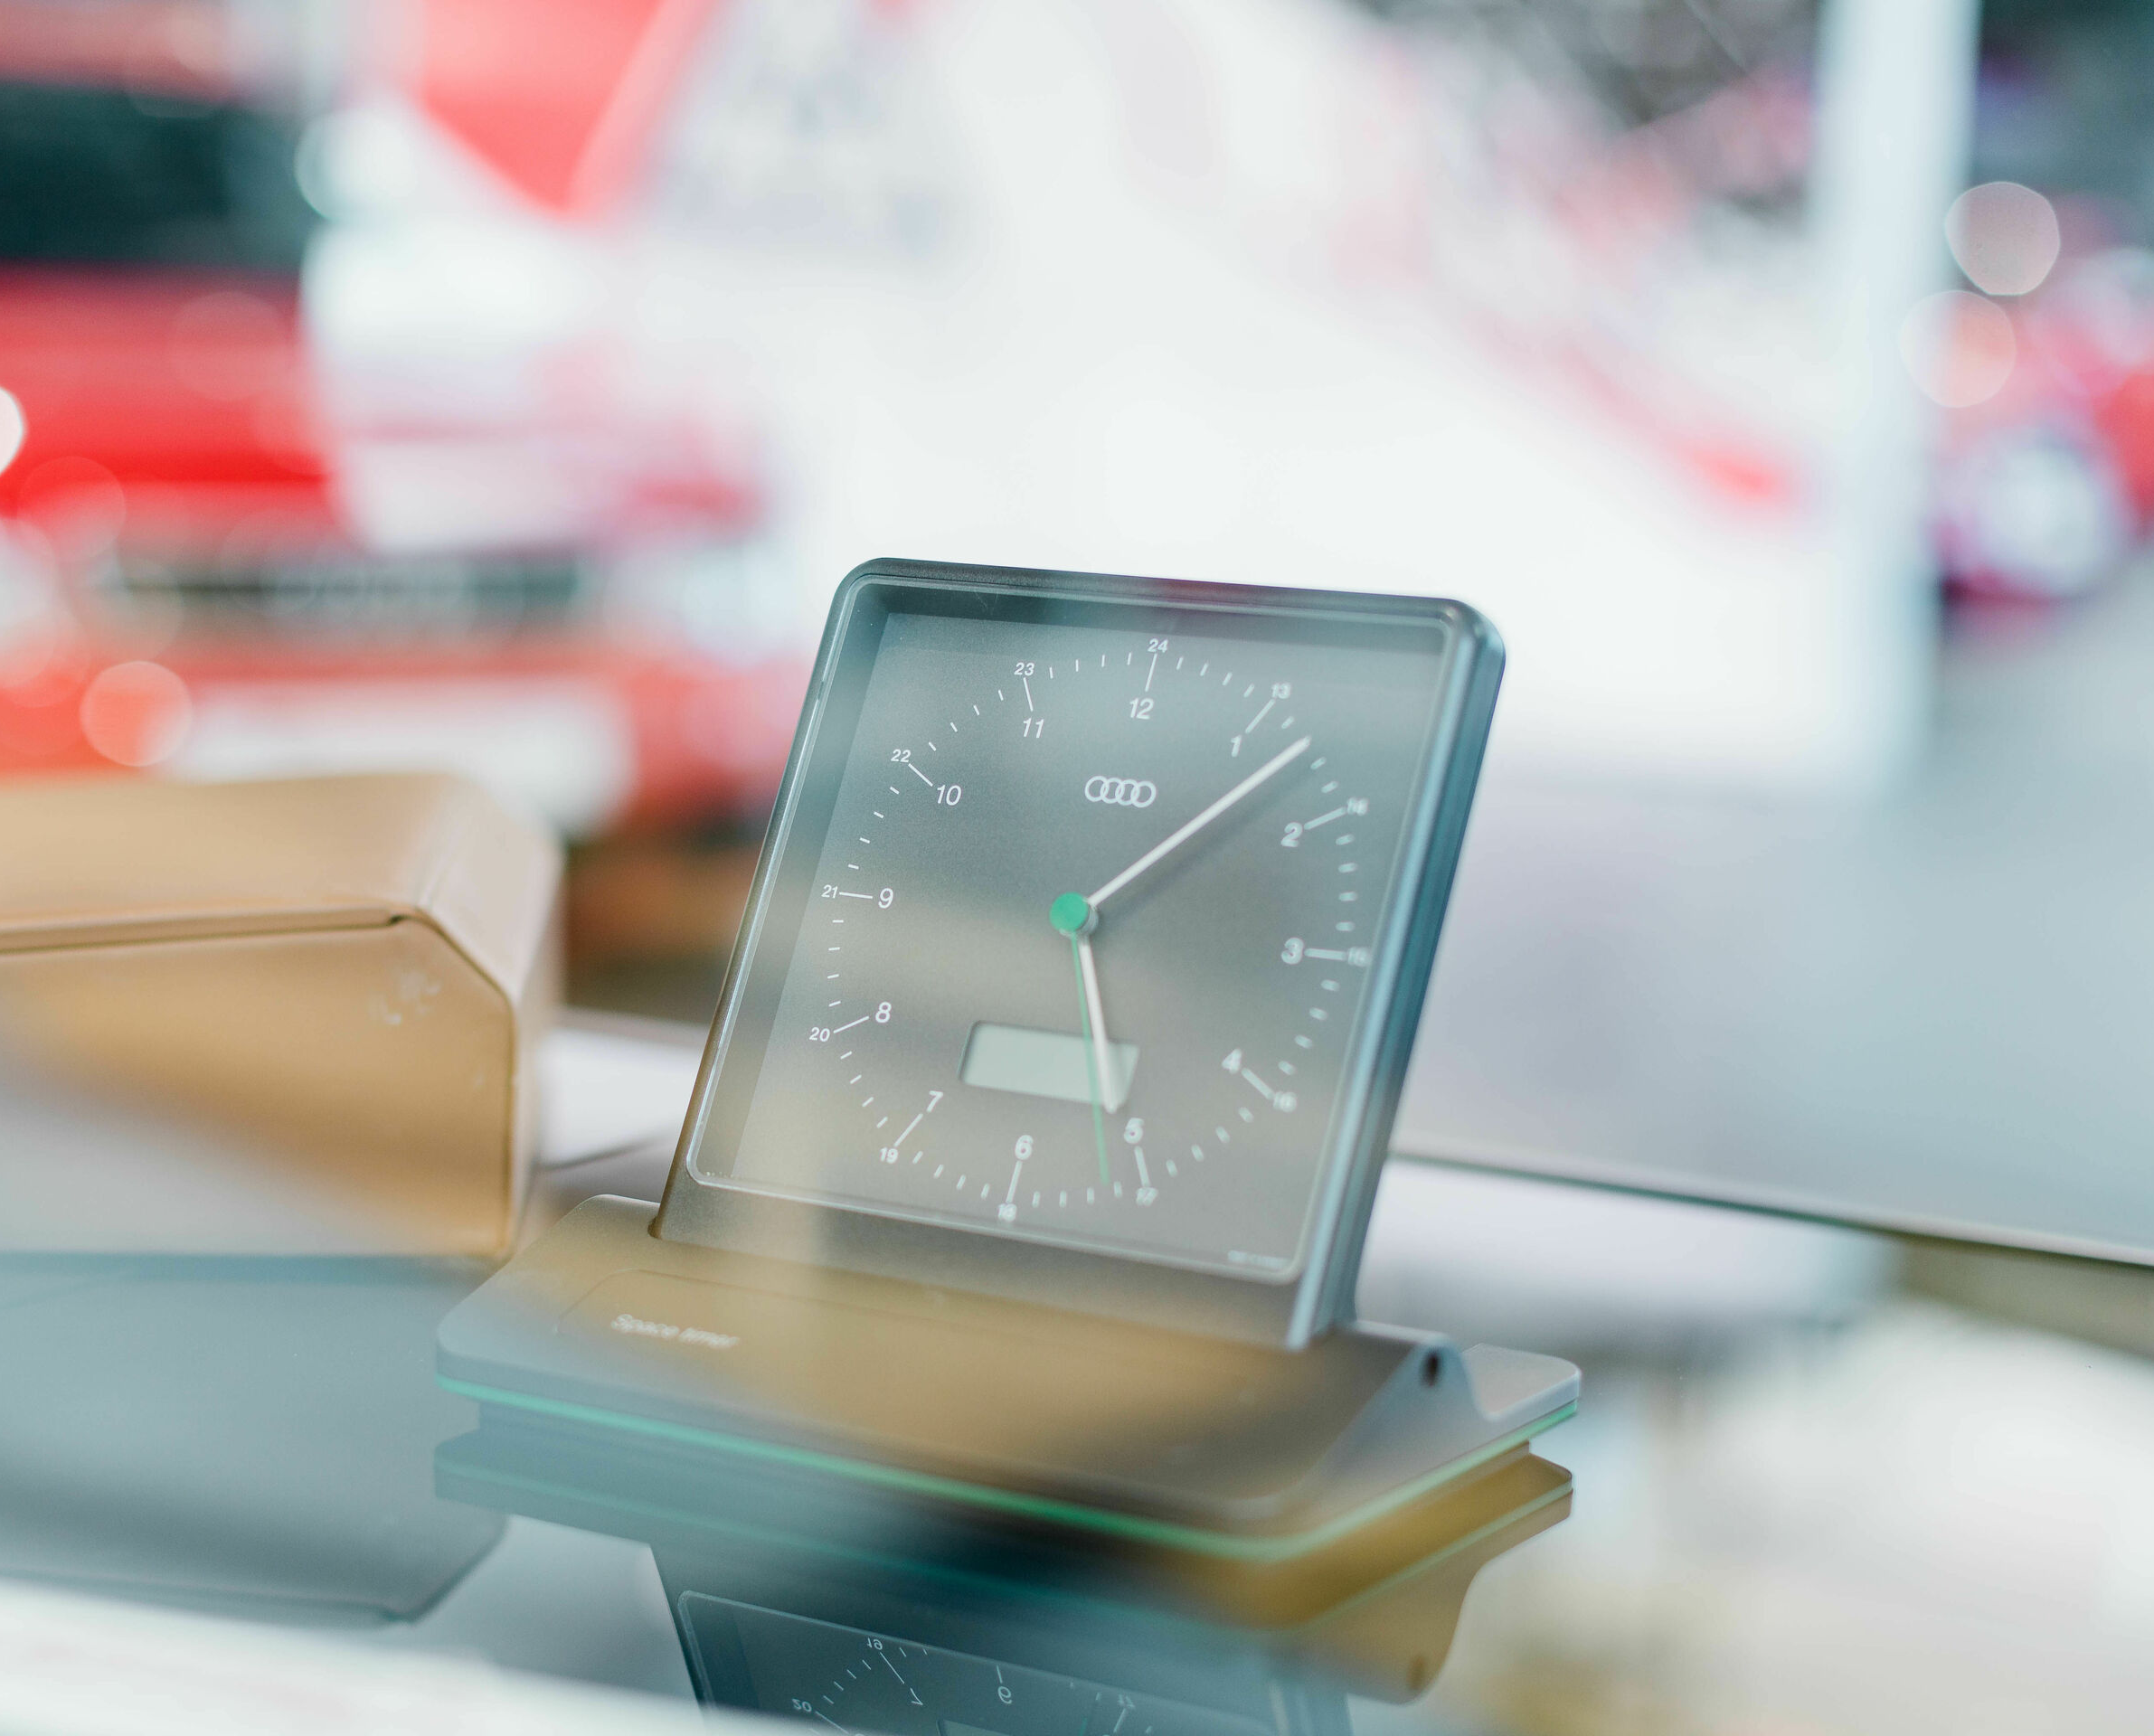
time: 5:07
